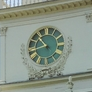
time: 10:42
